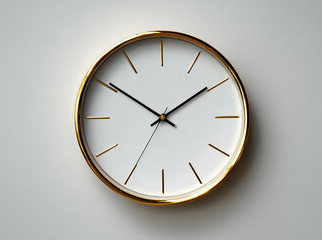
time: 1:50
